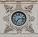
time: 7:13
